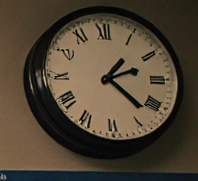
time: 1:22
